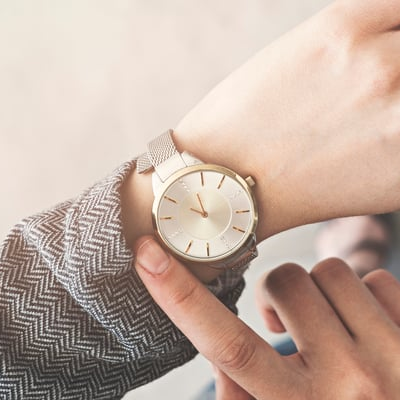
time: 9:57
